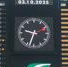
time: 9:33
